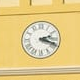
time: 2:18
